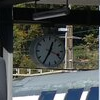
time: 12:34
